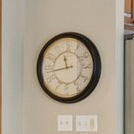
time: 11:43
